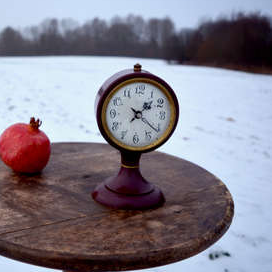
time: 1:21
